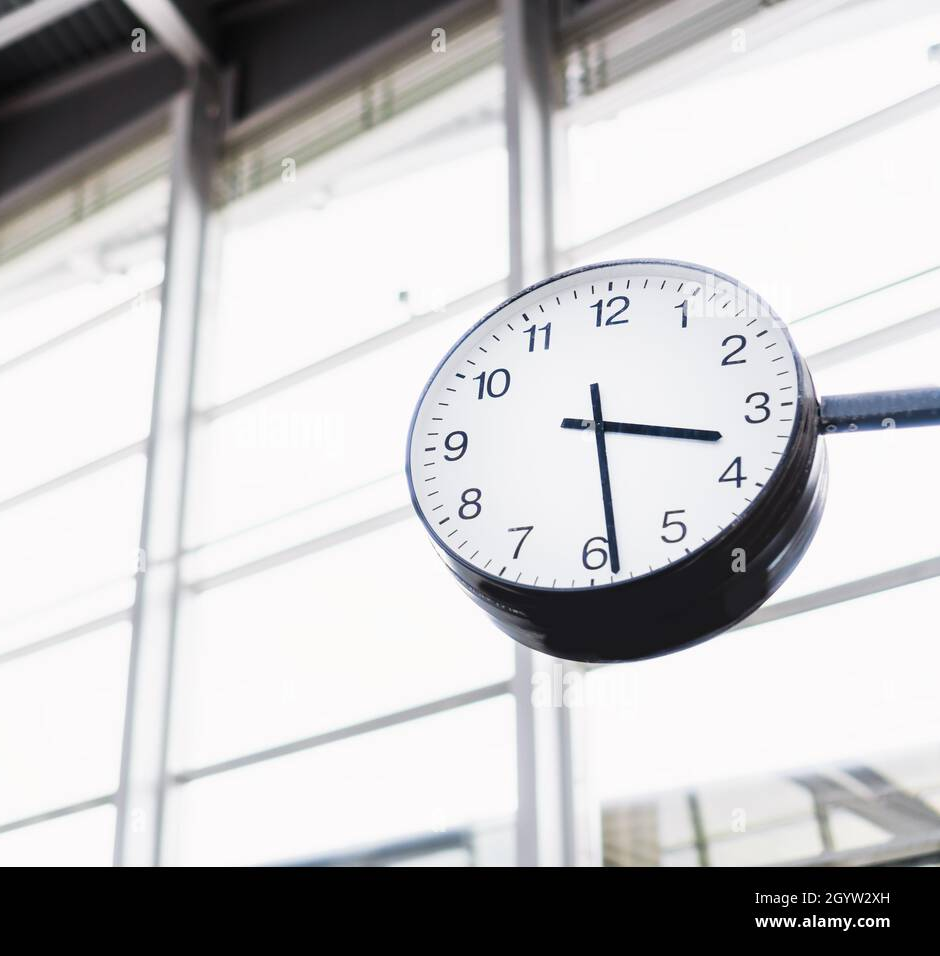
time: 3:28
